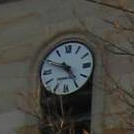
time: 4:48
